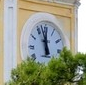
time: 5:57
